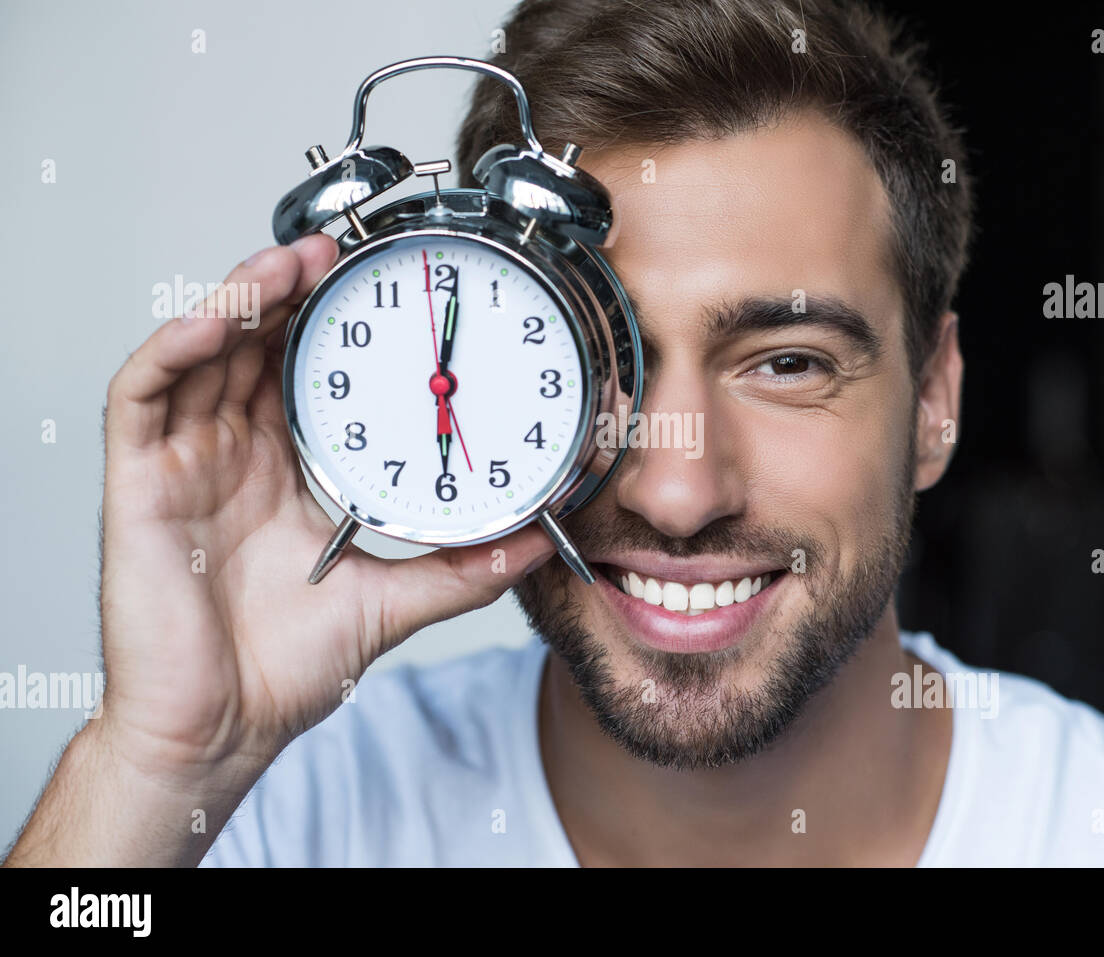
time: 6:01
